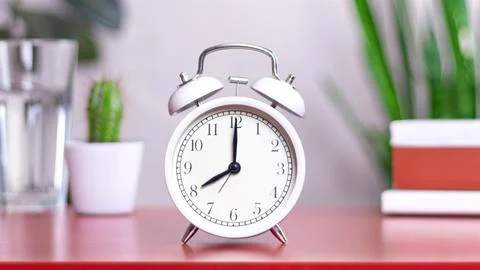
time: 8:00
